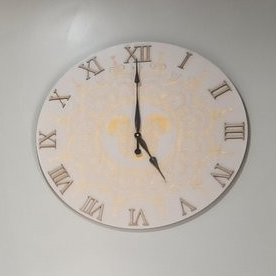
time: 5:00
